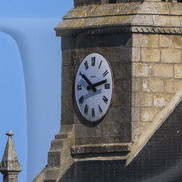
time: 10:12
